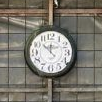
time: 11:52
